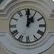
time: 1:00
